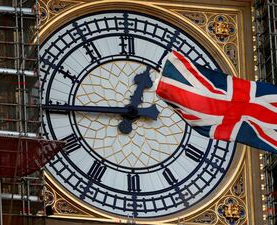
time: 12:45
